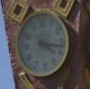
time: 4:17
